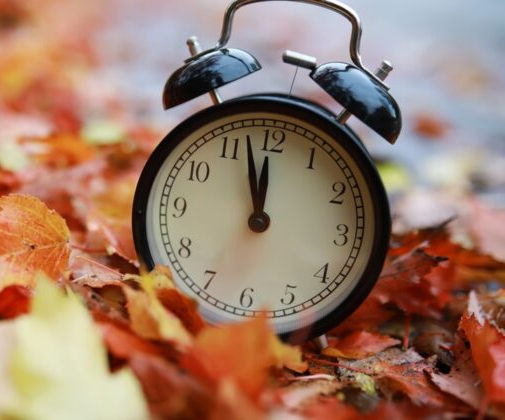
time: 11:57
